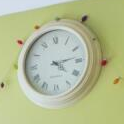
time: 4:13
